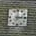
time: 2:59
